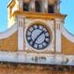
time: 1:36
